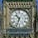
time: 10:33
